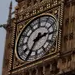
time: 2:35
